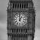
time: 12:59
